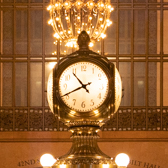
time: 10:41
